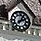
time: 1:11
